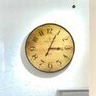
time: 3:04
